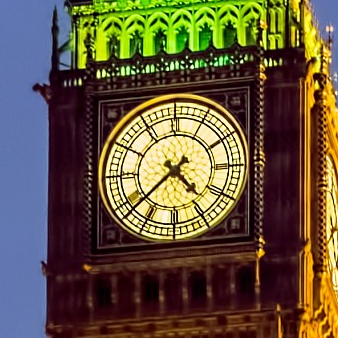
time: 4:37
